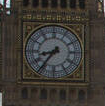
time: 8:36
